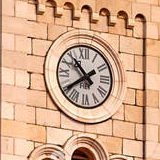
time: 10:39
